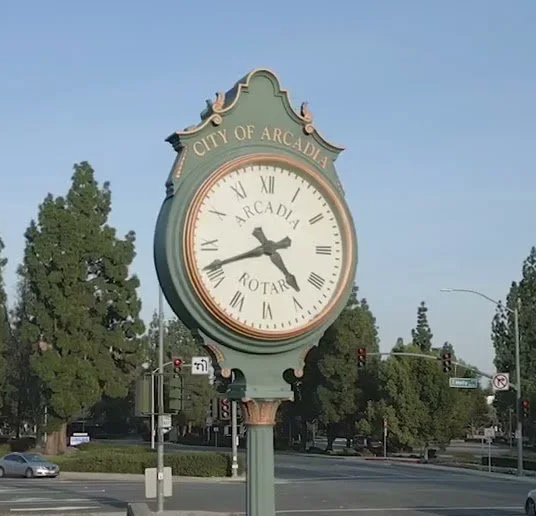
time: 4:41
